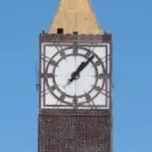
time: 1:07
